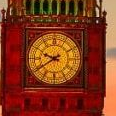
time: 9:39
